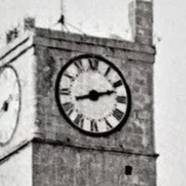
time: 8:12
